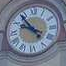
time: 9:53
